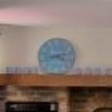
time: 4:12
